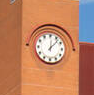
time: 12:07
